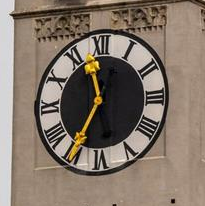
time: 11:35
